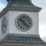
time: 10:21
